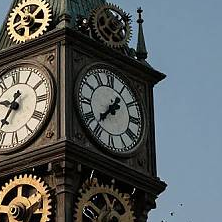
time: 1:37
